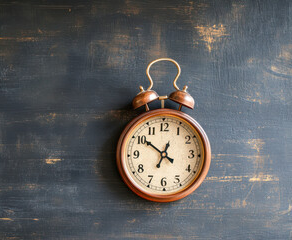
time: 12:51
